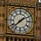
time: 1:37
